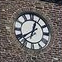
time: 12:39
